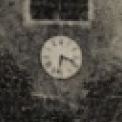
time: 3:32
